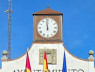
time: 11:59
